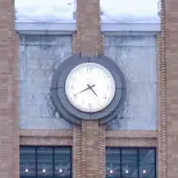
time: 4:40
